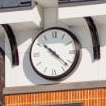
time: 10:21
